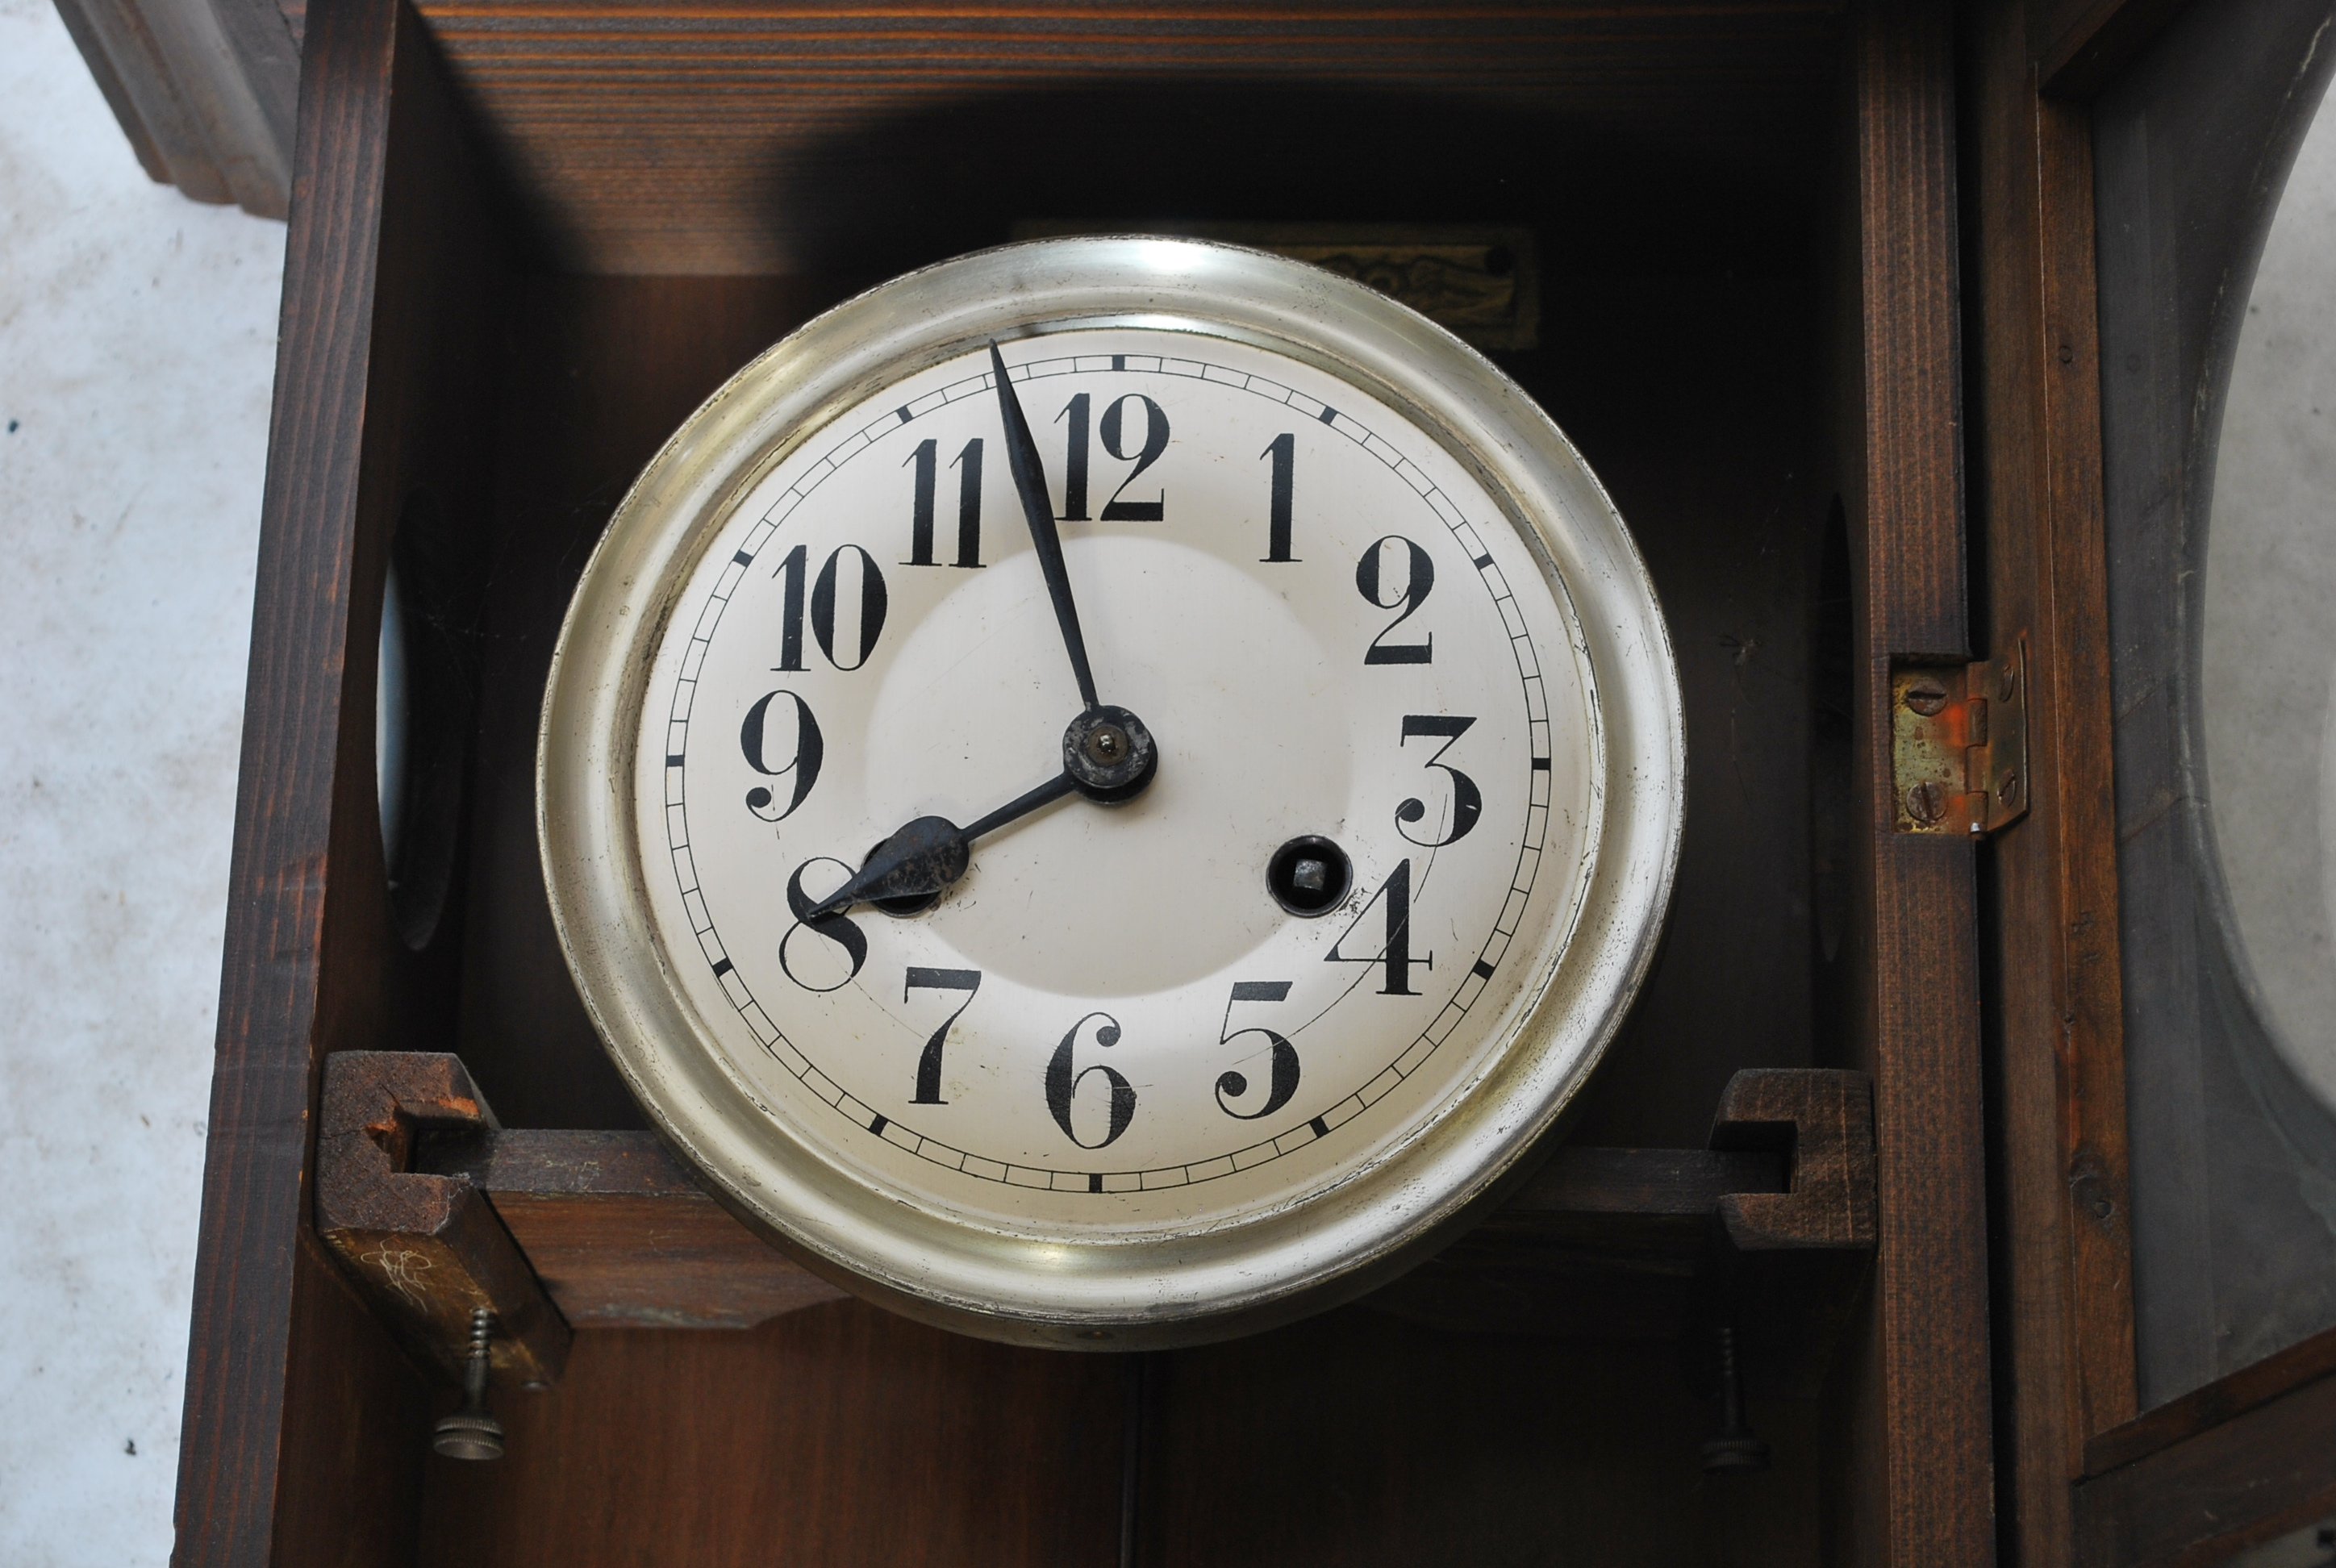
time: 7:57
